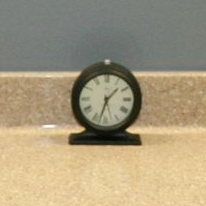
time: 1:32
